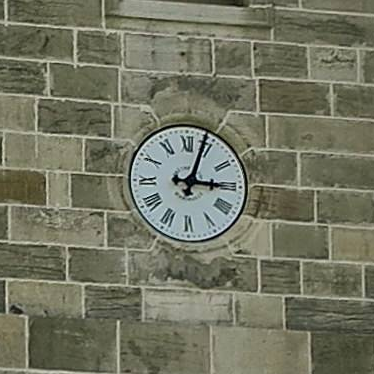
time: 3:03
